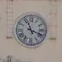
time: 11:18
